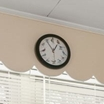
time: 12:54
